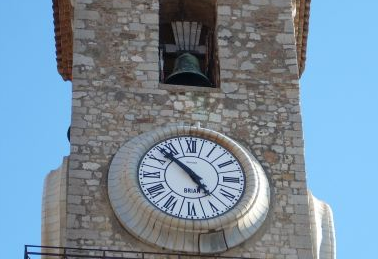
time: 4:52
